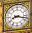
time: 8:17
